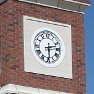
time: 2:29
